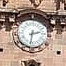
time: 2:31
